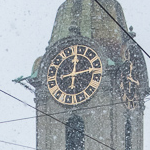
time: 12:12
